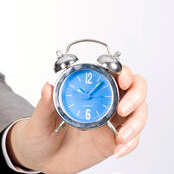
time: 10:07
